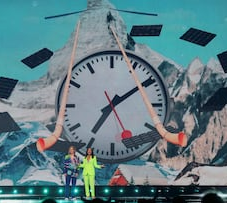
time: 7:09
